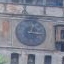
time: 12:14
